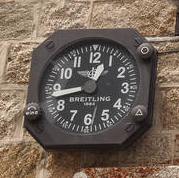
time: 12:43
